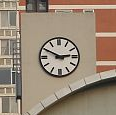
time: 2:49
